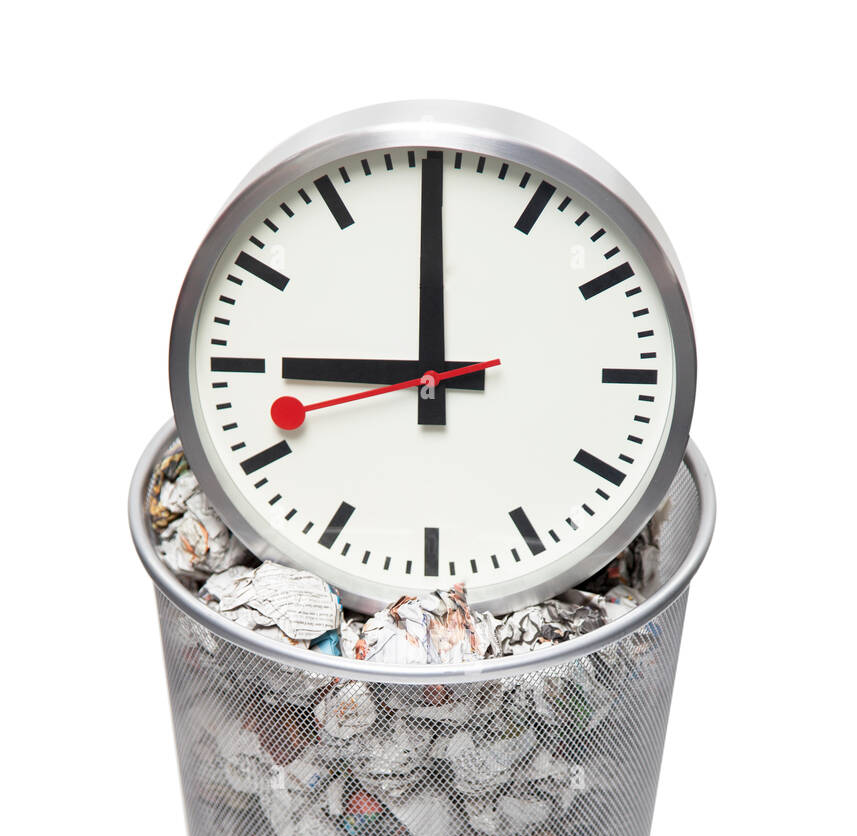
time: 8:59
